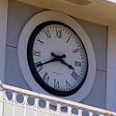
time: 3:40
